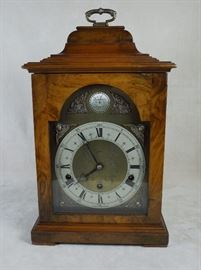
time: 7:53
